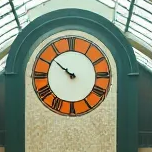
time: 9:51
